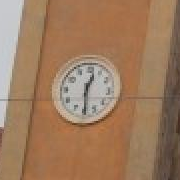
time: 12:29
